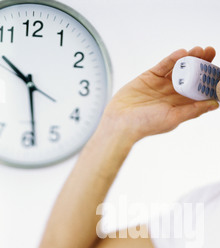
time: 10:28
